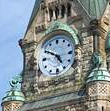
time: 4:50
